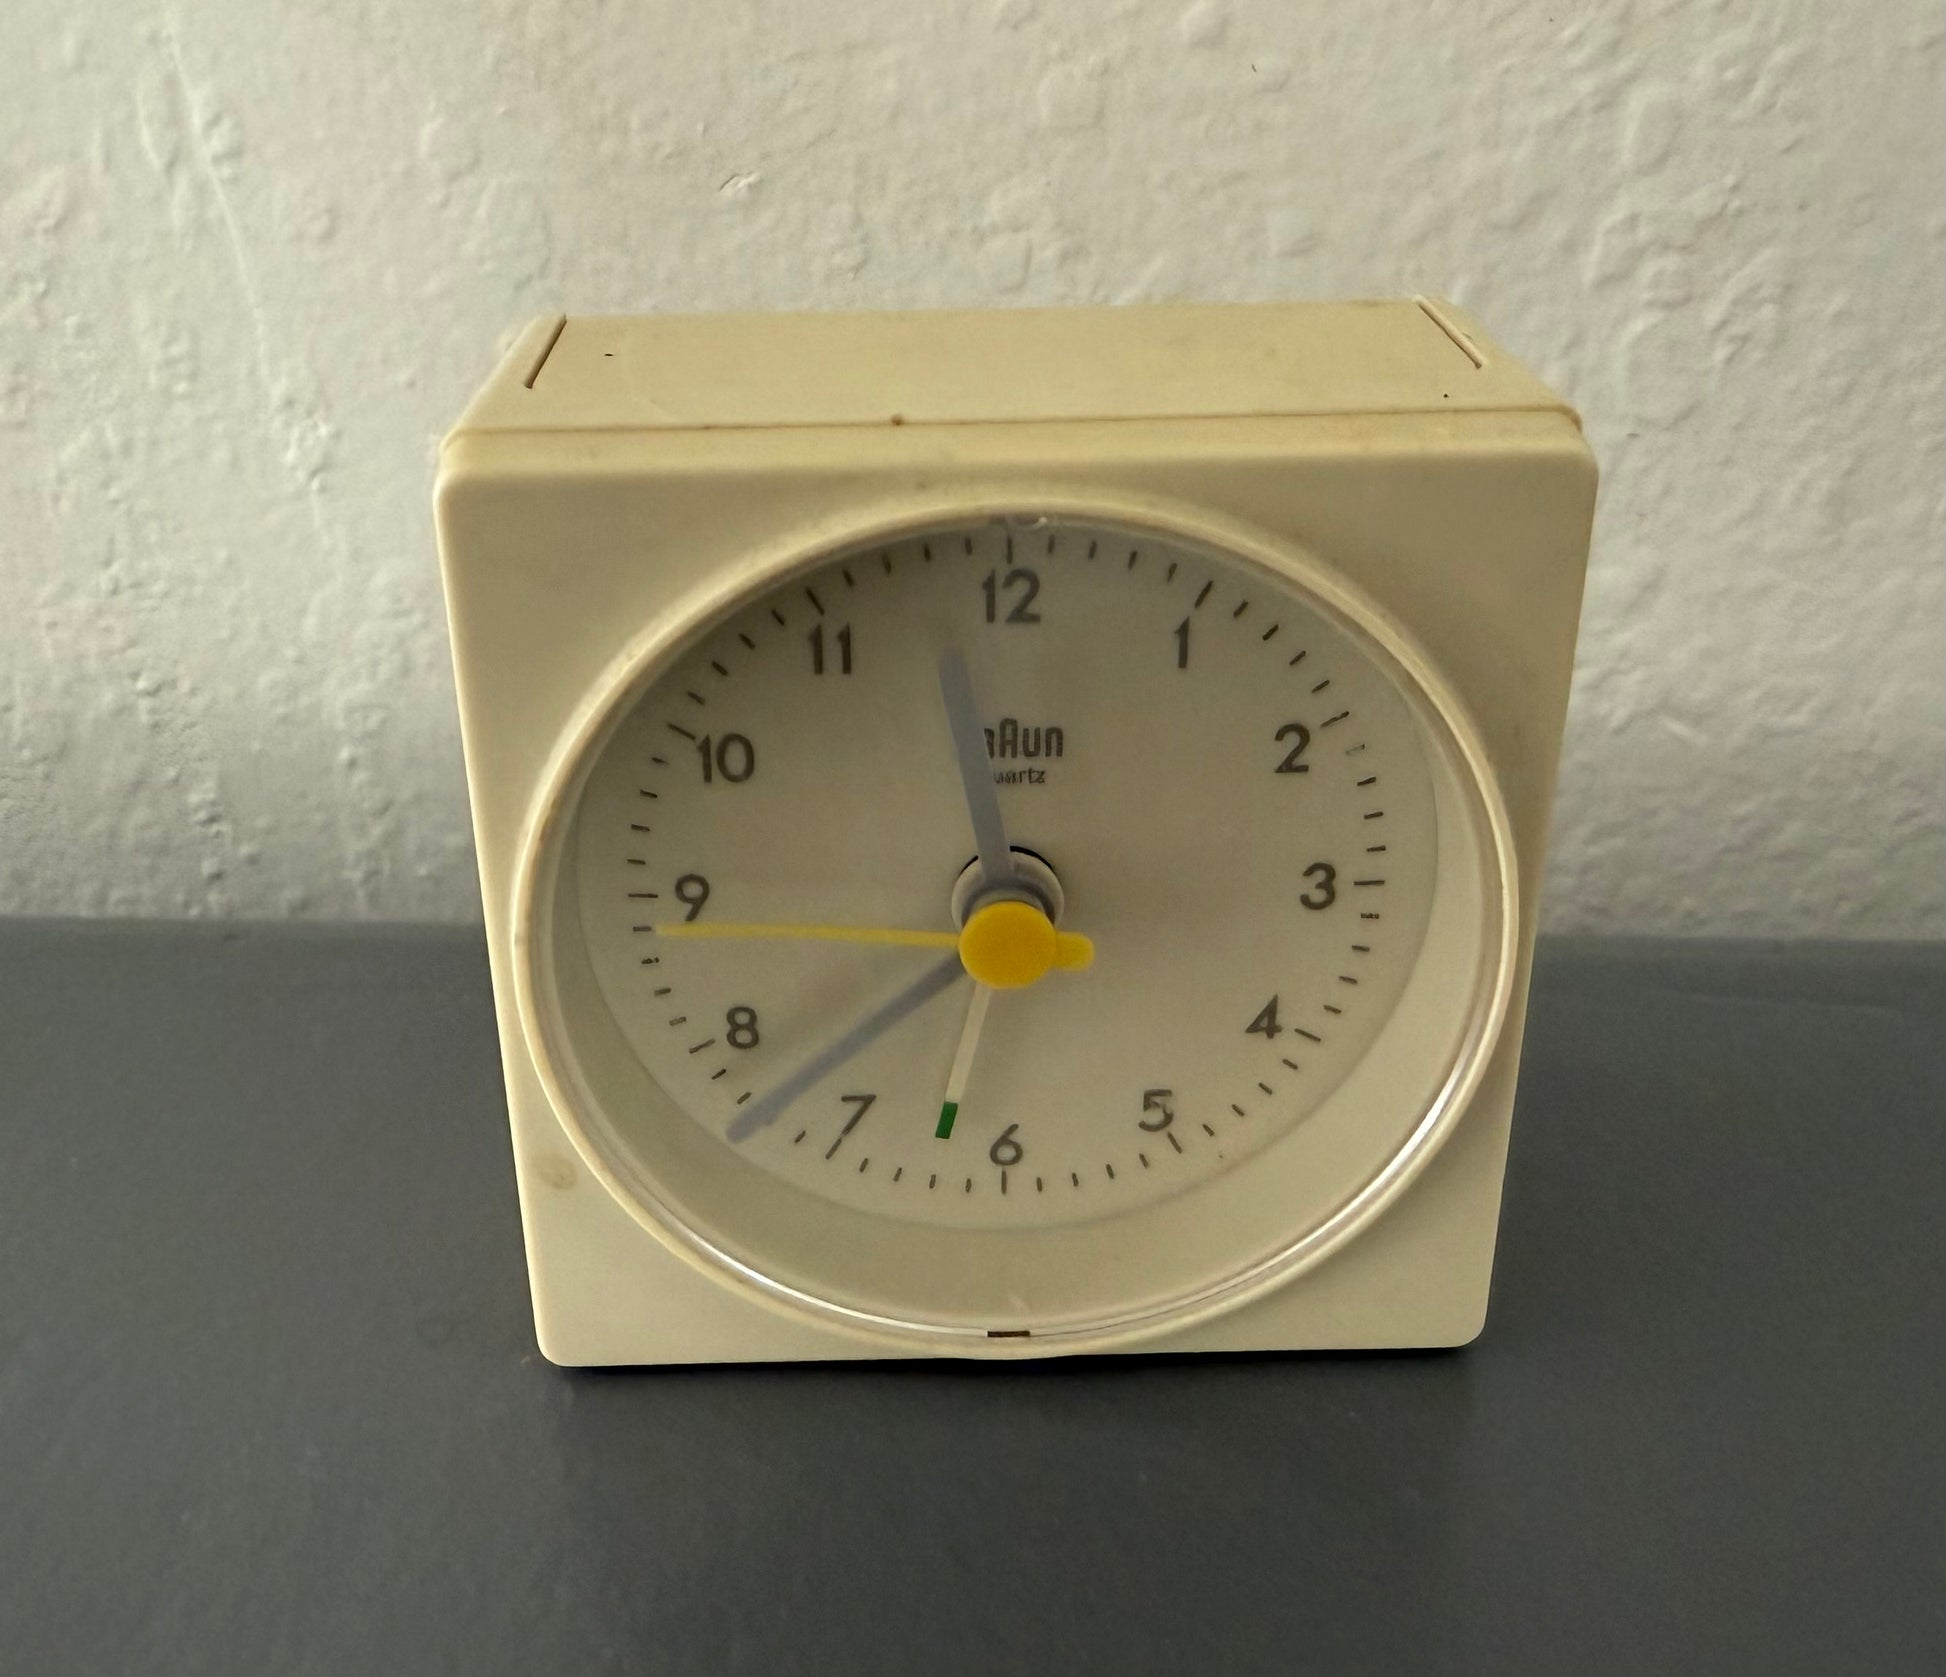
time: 11:38
